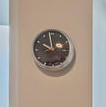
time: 9:58
